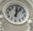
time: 12:05
